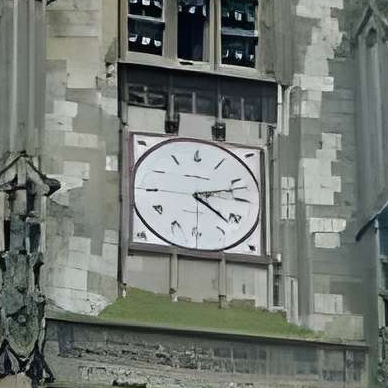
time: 4:12
